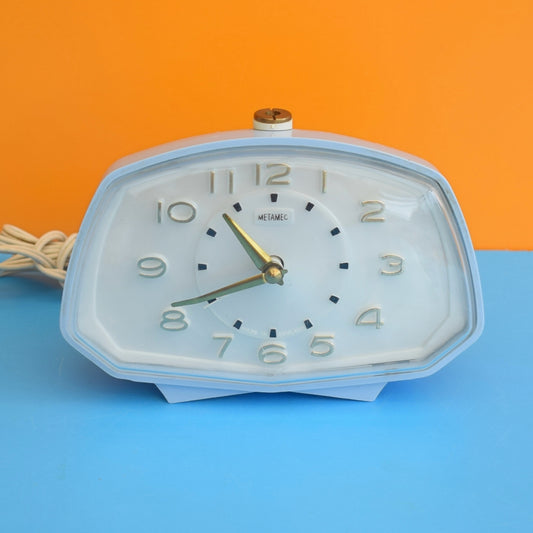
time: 10:41
